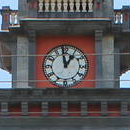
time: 12:58
